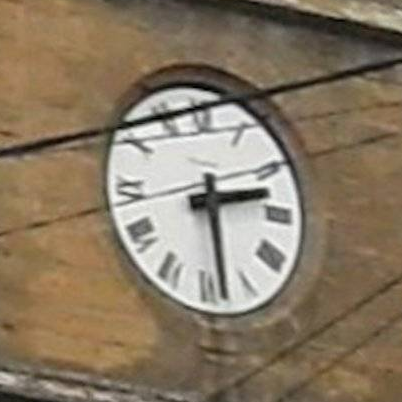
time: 2:28
